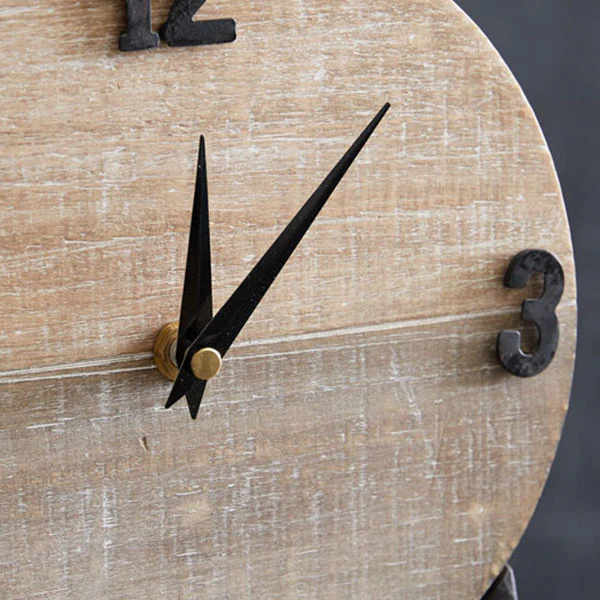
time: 12:07
